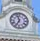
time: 6:57
